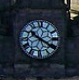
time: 10:20
